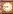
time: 8:46
